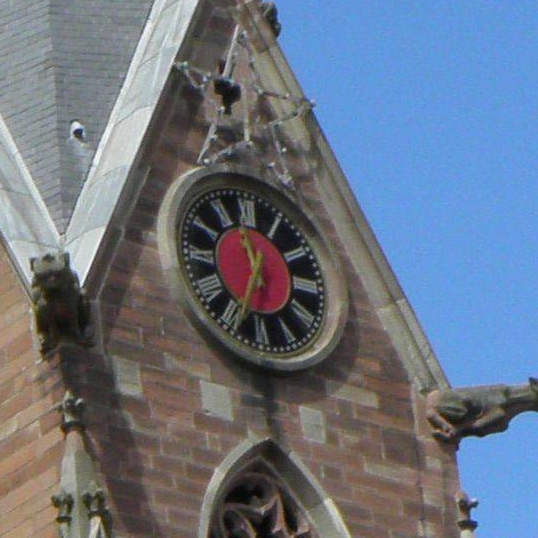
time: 11:34
